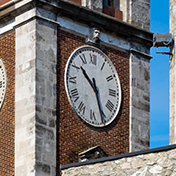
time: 10:26
